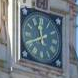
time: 11:40
